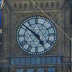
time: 4:51
